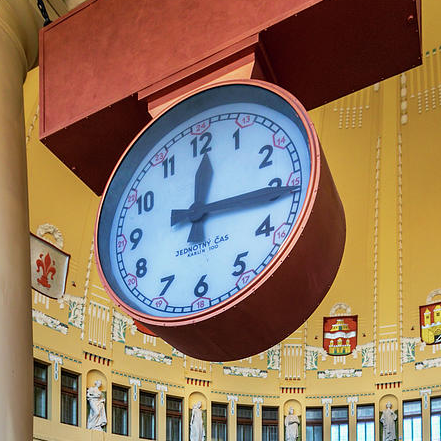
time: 12:15
